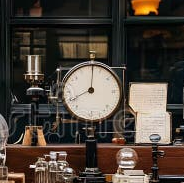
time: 8:01
